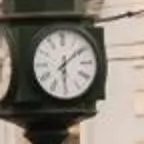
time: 6:08
